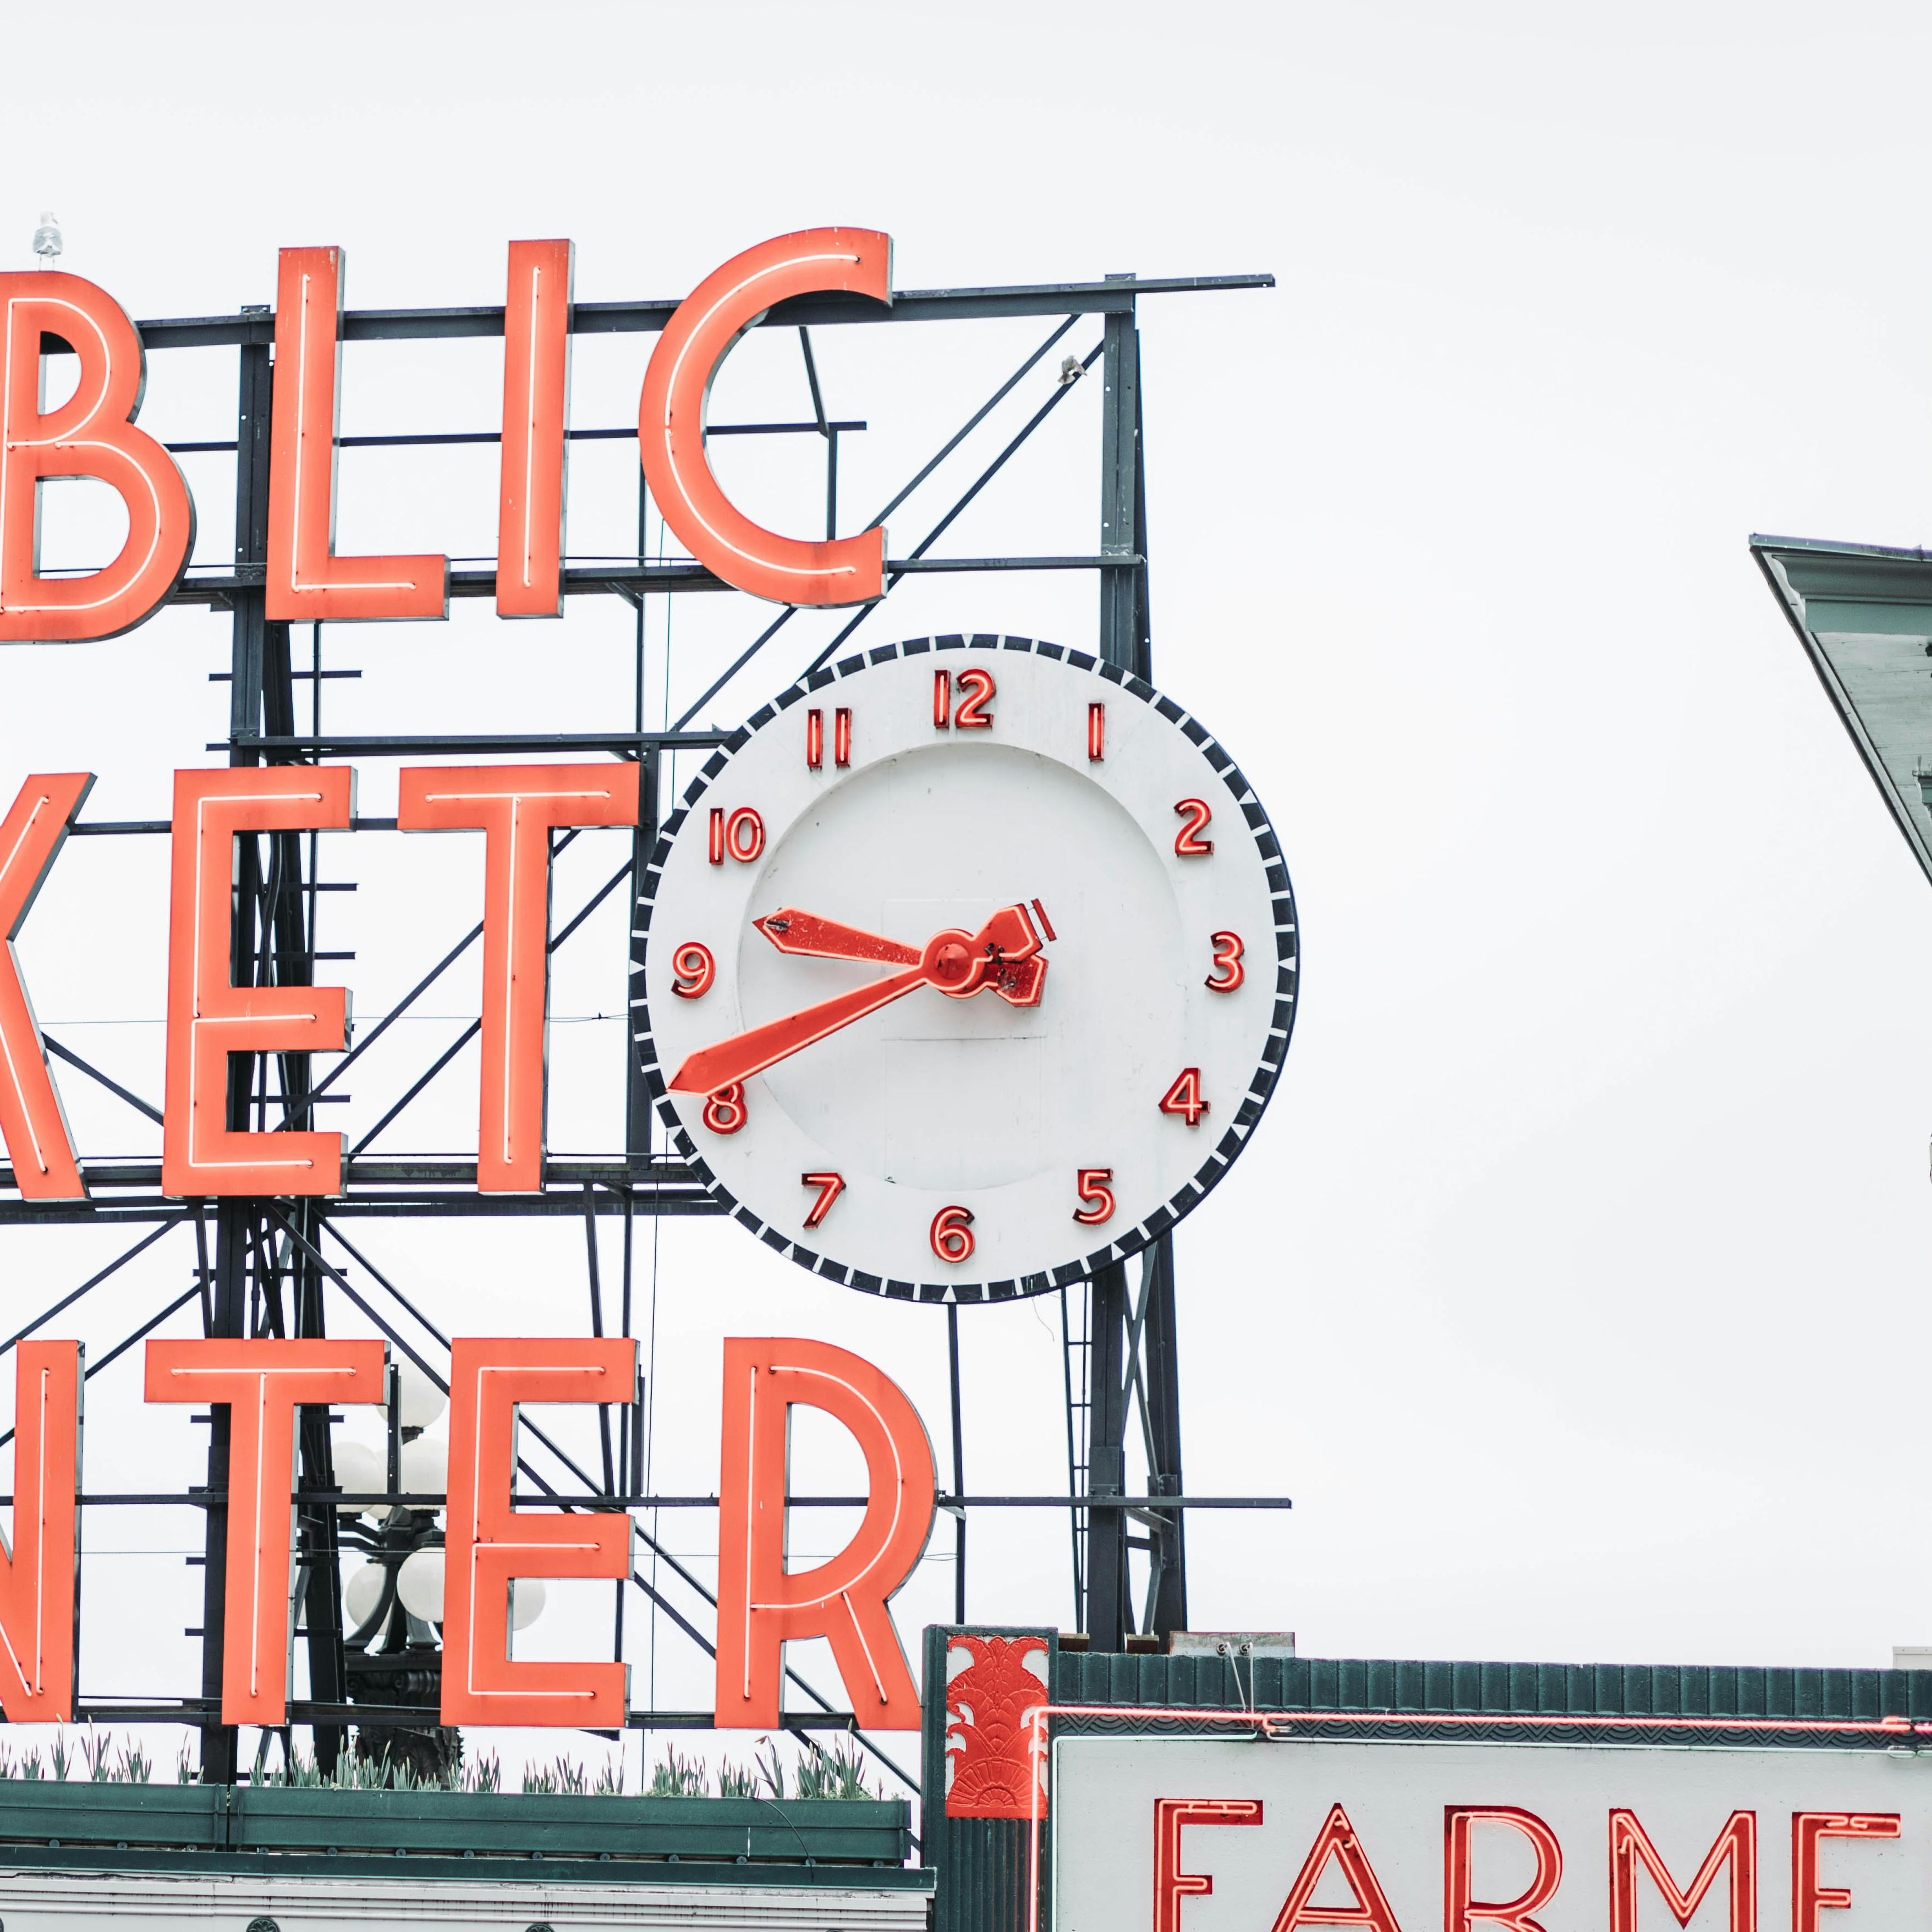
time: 9:41
